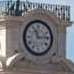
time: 11:14
